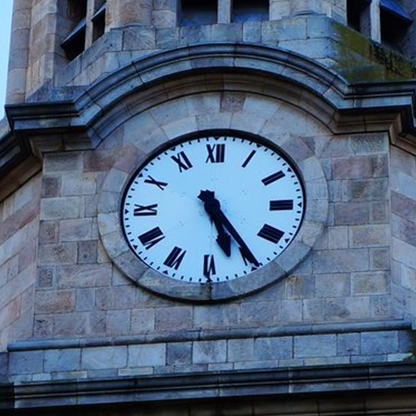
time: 5:24
